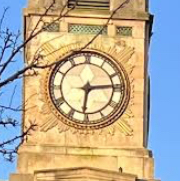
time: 6:14
